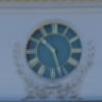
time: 10:26
